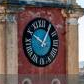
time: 10:05
